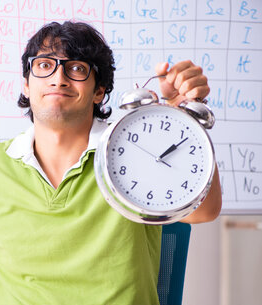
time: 1:06
